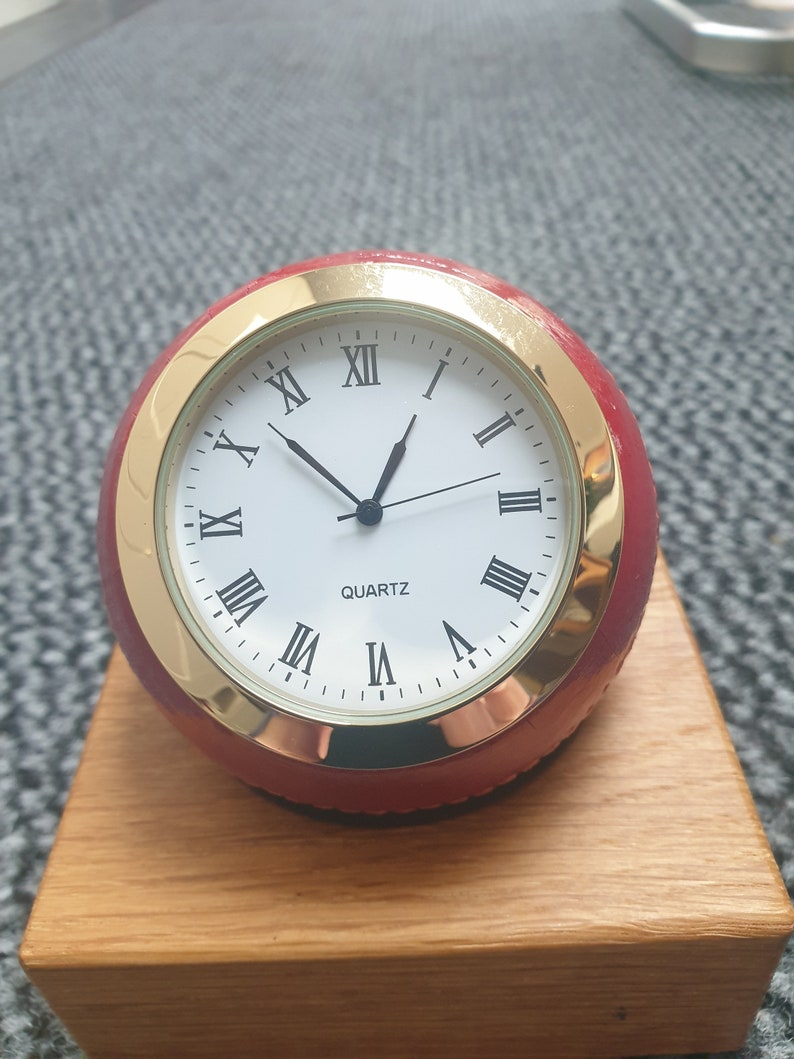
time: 12:52
